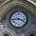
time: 3:44
